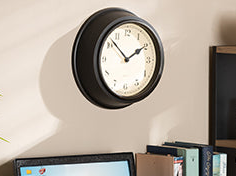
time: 1:52
